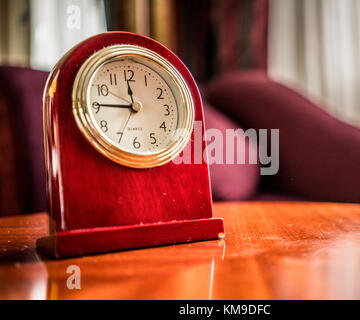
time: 11:45
